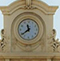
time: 11:38
